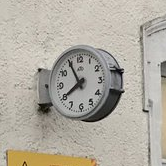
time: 7:55
